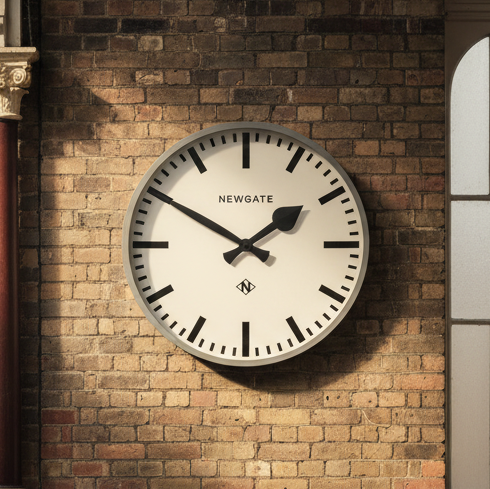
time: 1:50
